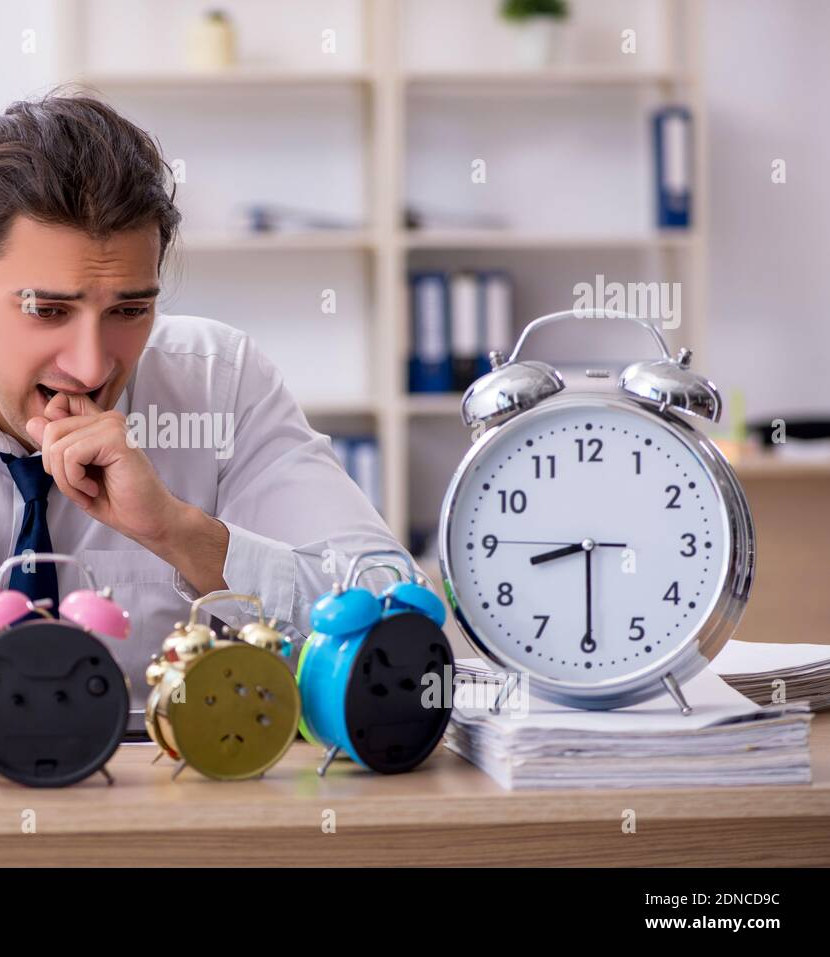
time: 8:29
